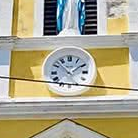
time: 1:53
